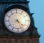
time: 4:26
